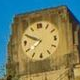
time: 7:49
